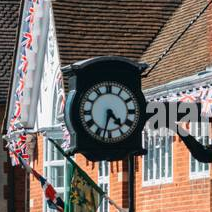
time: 4:32
